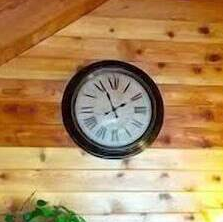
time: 1:56
